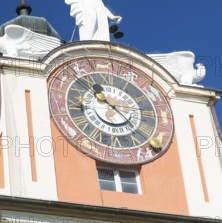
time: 11:22
